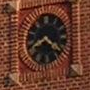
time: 8:20
